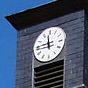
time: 11:45
